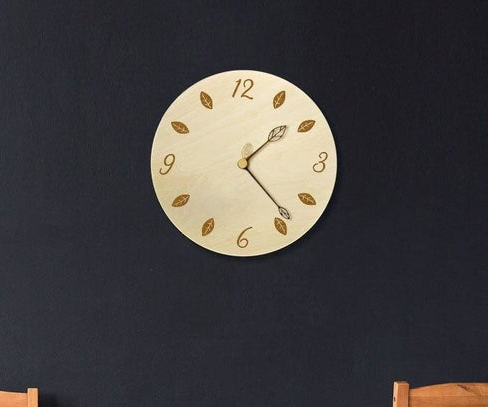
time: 1:23
